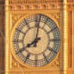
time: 8:01
